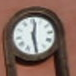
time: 12:29
